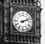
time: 2:11
